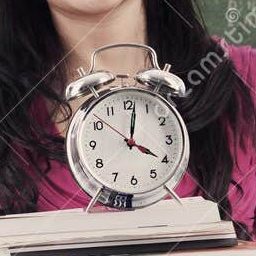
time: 4:01
